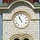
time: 10:56
